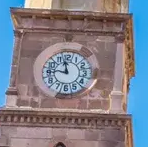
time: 11:46
